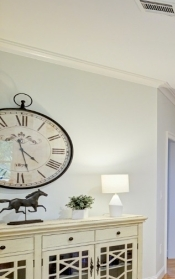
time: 4:27
